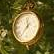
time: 11:36
